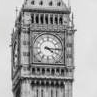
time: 4:15
